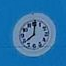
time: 8:00
